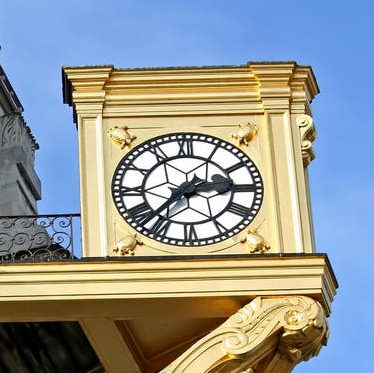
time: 2:36
